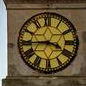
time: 3:44
